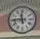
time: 11:44
